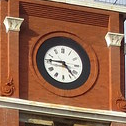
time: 4:45
